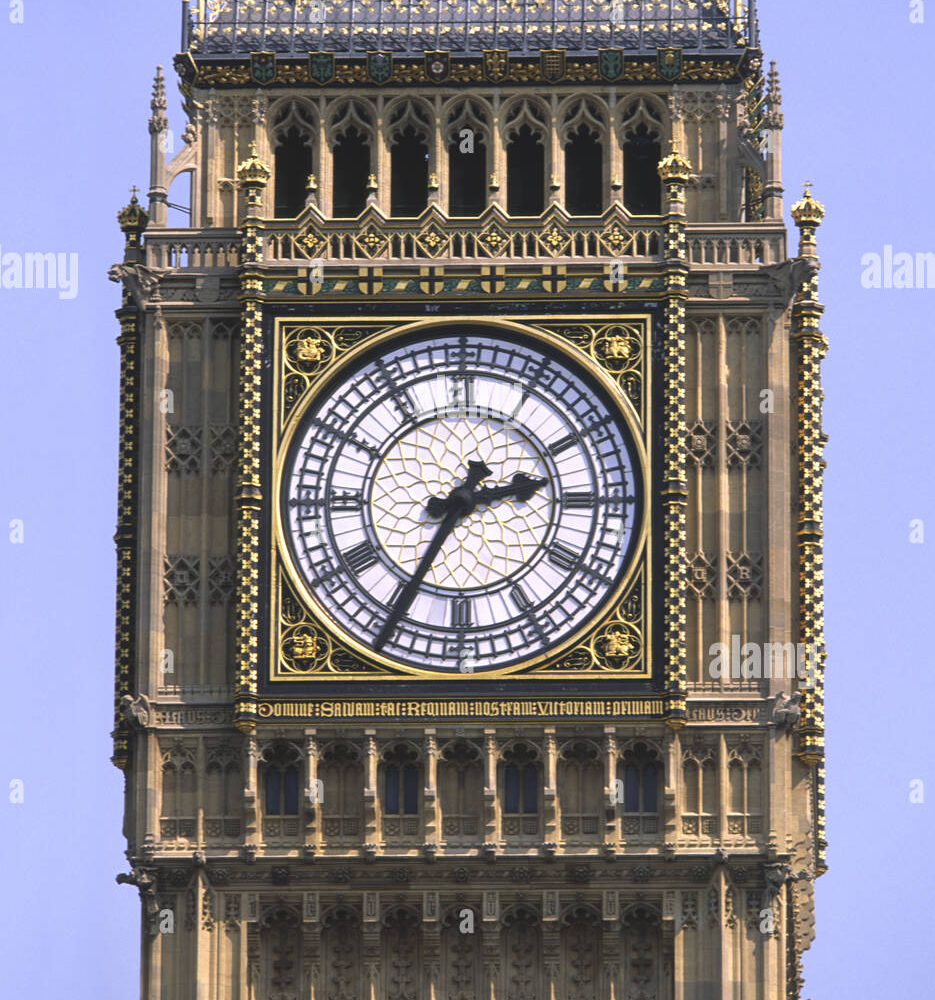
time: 2:34
